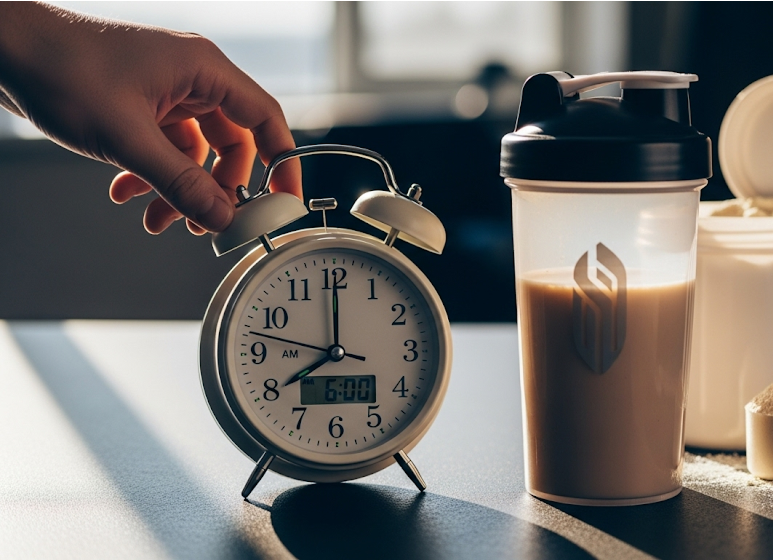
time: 8:00
